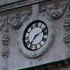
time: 7:11
